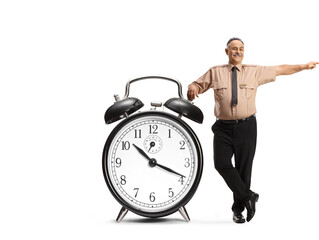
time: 10:18
